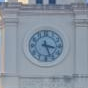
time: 3:26
